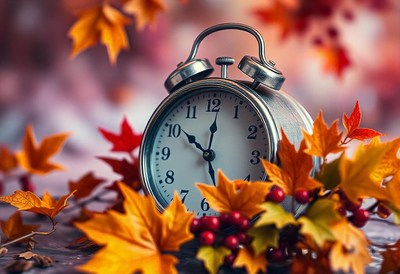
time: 10:01
